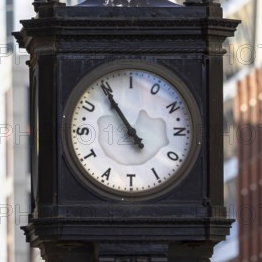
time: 10:55
